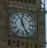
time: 11:25
